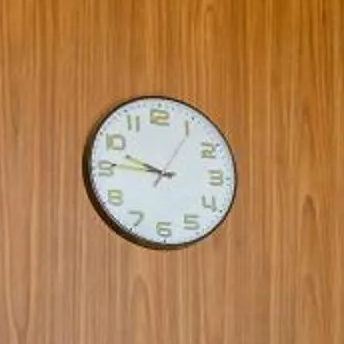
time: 9:45
